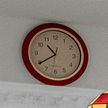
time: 10:39
